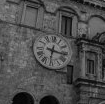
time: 6:16
